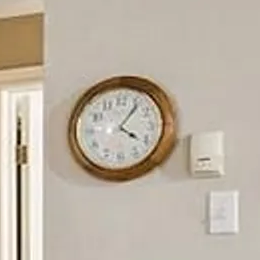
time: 4:06
